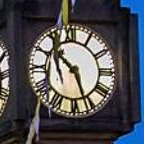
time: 10:26
